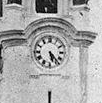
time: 5:23
